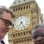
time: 7:25
